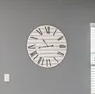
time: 10:43
